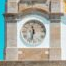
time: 11:32
